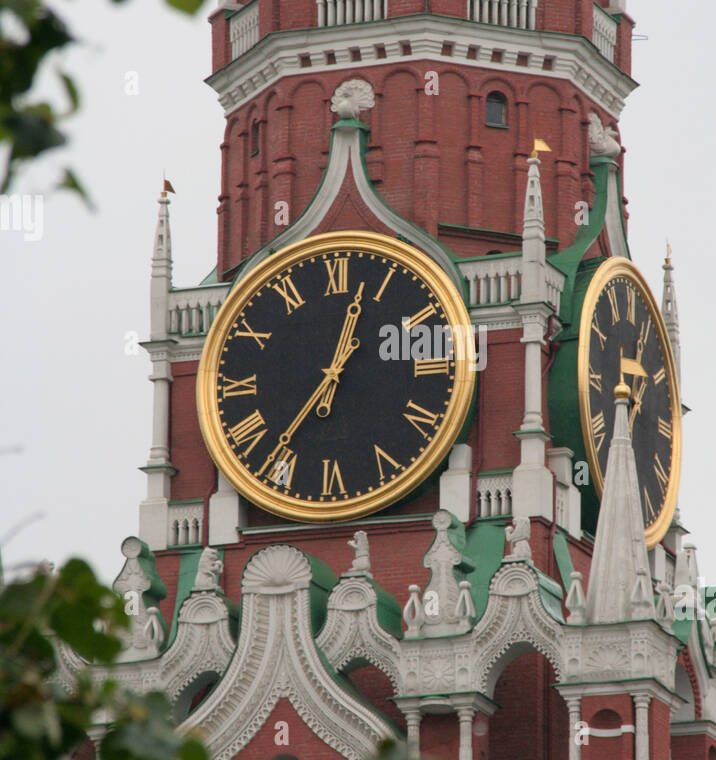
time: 12:36
